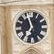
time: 11:35
